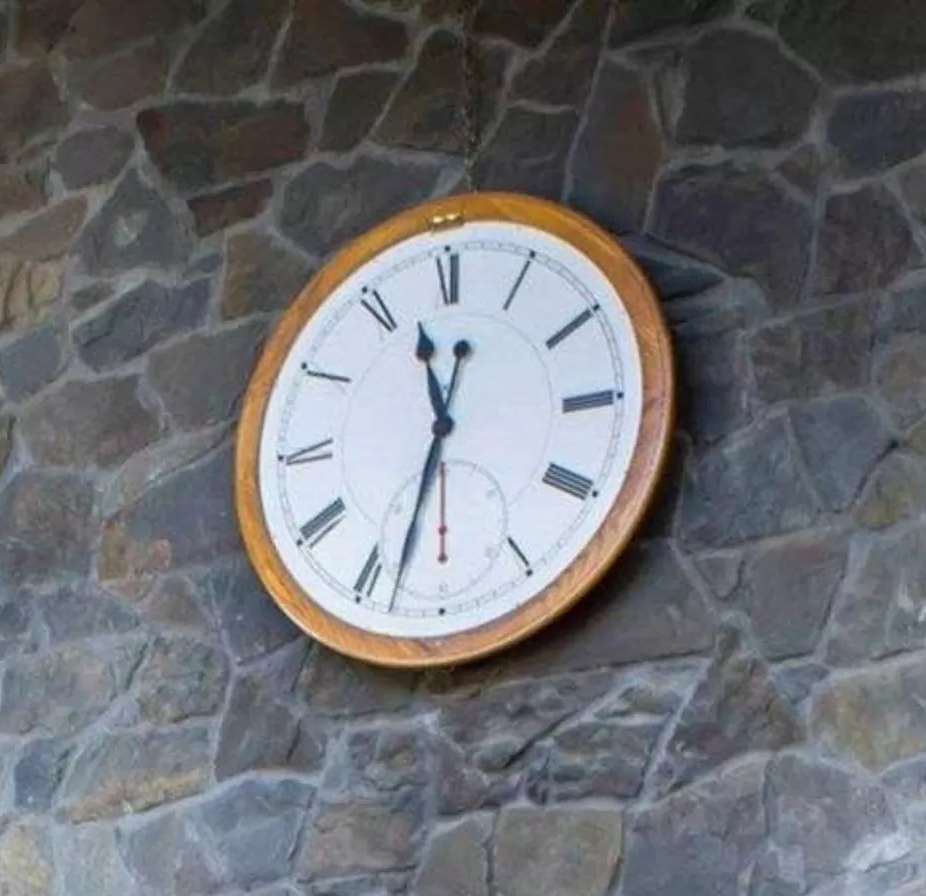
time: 11:32
